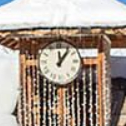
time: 12:06
